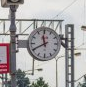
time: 11:40
